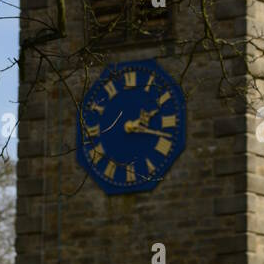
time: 2:18
